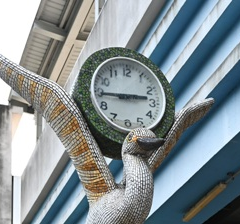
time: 2:44
